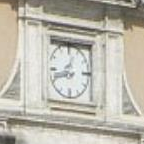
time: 12:42
